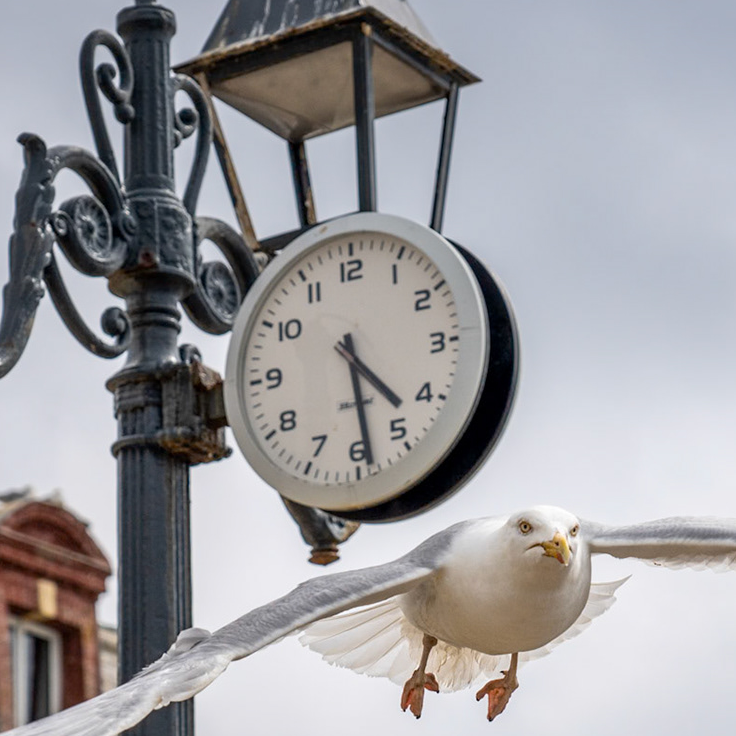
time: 4:28
